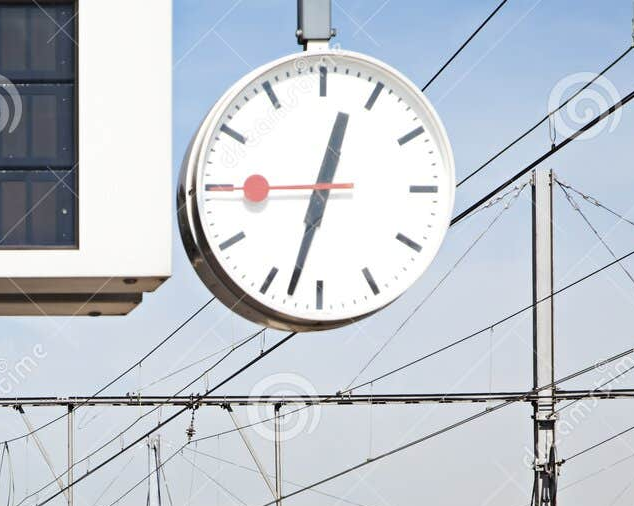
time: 12:32
